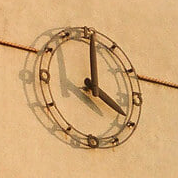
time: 4:00
